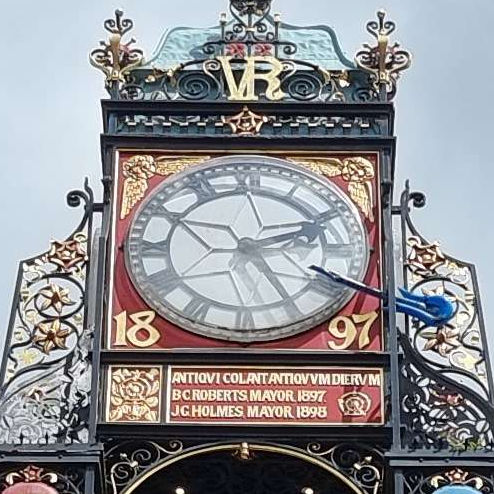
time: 2:24
